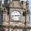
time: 2:42
